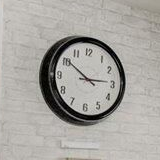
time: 2:50
